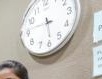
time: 5:46
